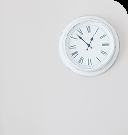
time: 12:52
